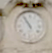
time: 5:54
